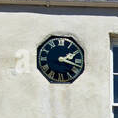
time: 2:18
